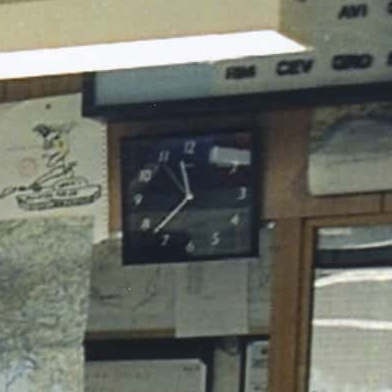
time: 11:37
